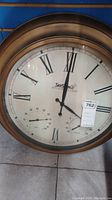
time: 4:00
